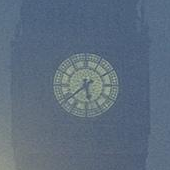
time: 5:38
